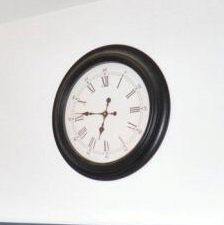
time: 6:45
